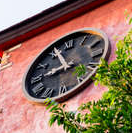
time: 8:56
